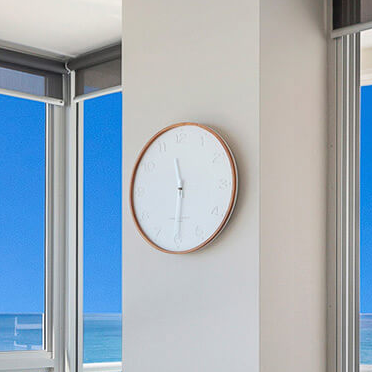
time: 11:30
